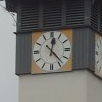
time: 12:23
